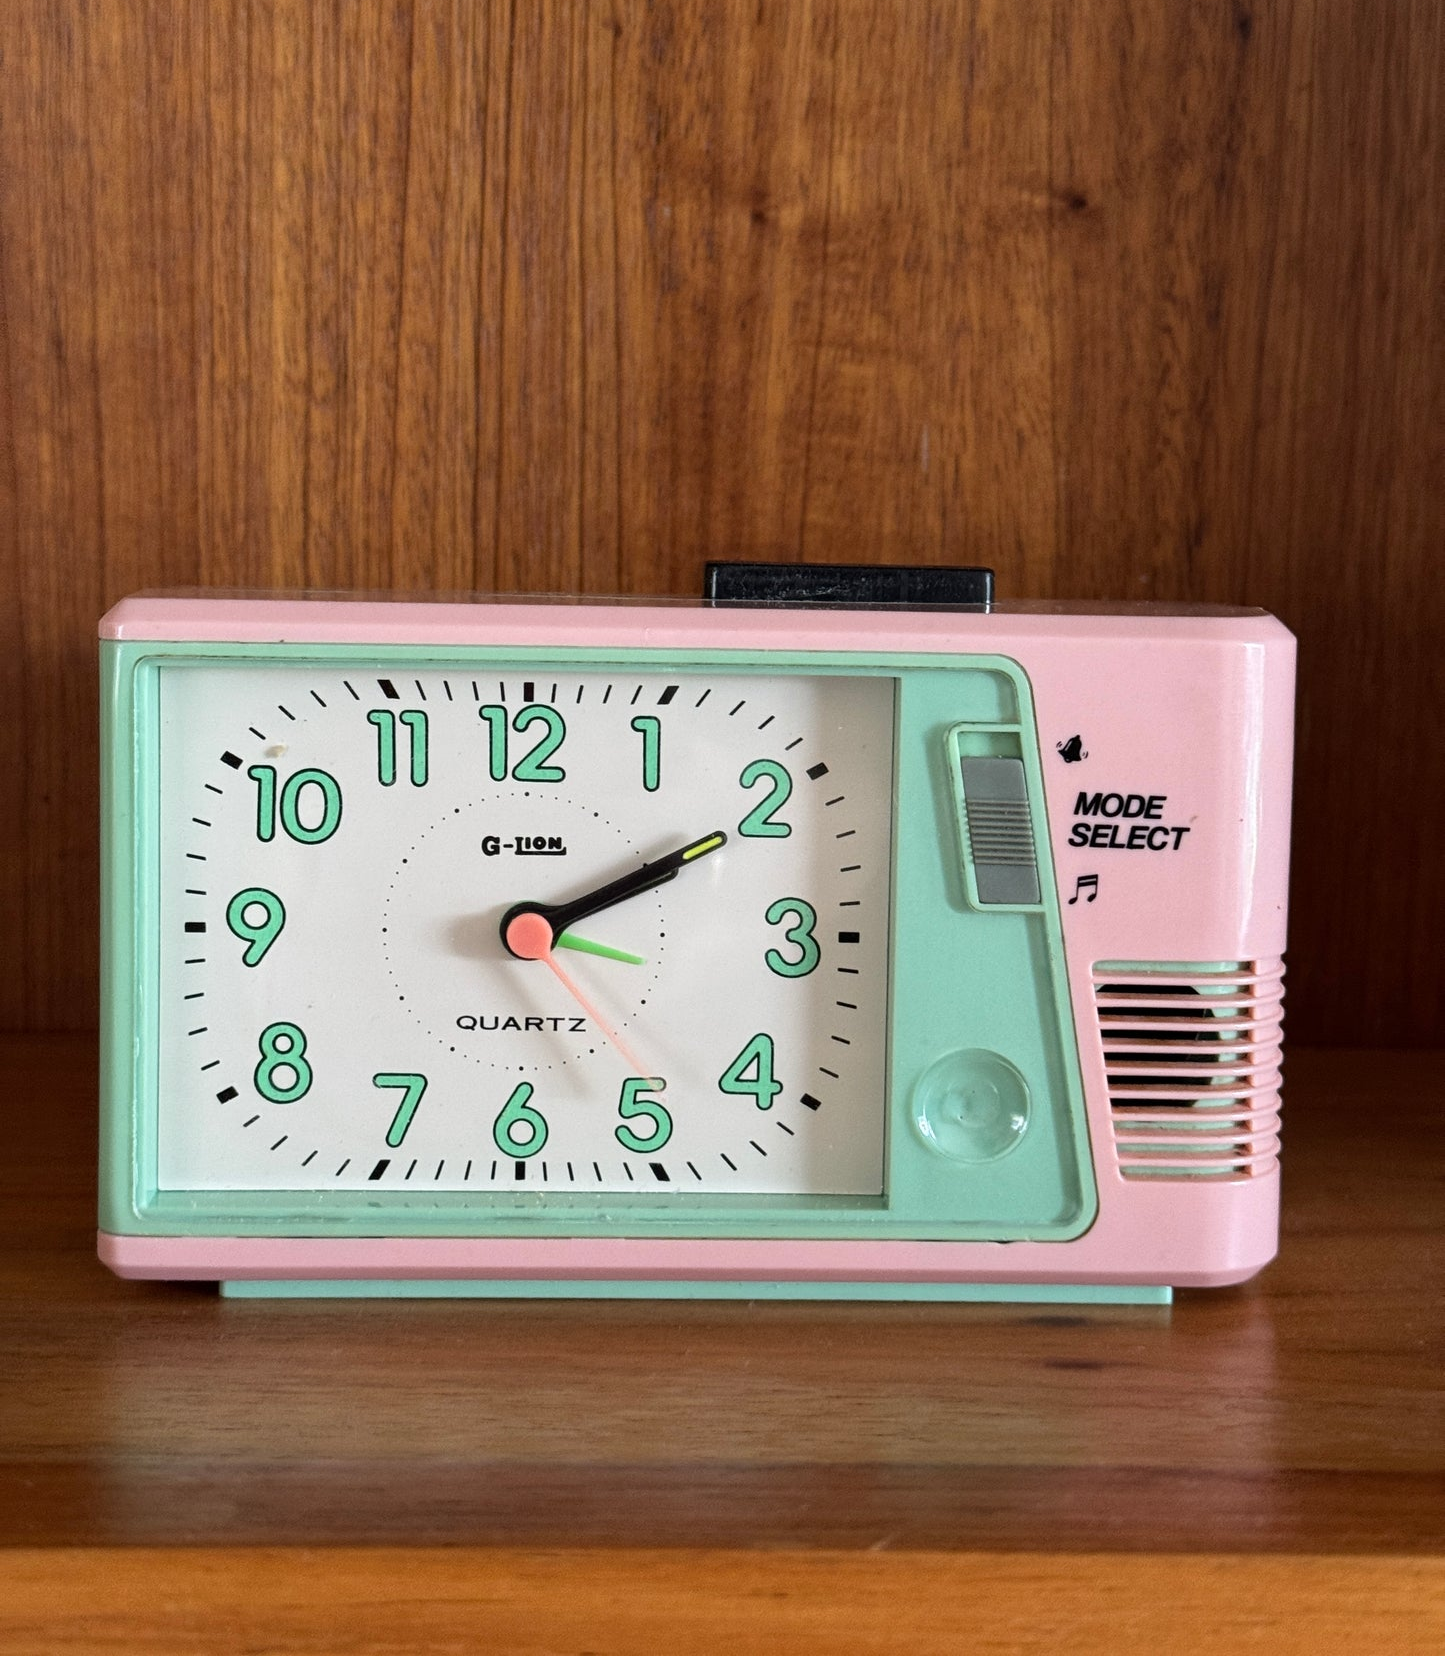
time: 2:10
